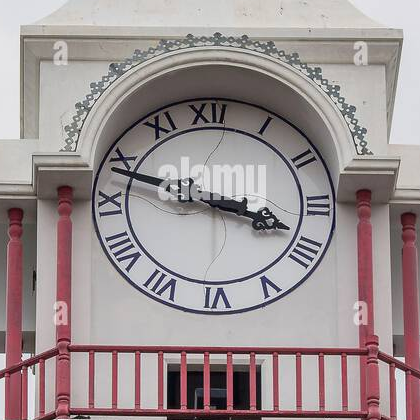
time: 3:48
